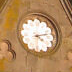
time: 4:12
